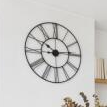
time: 10:14
